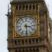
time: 3:29
